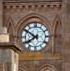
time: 7:50
